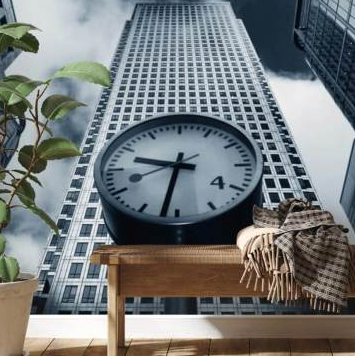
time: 9:32
